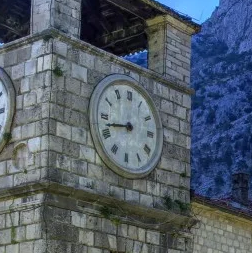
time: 8:42
